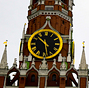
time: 10:28
